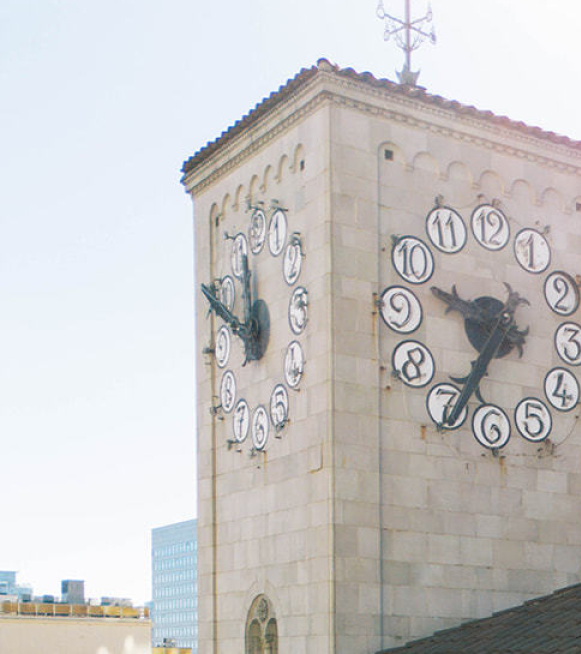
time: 11:49
